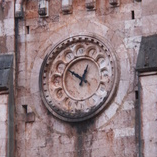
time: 12:49
